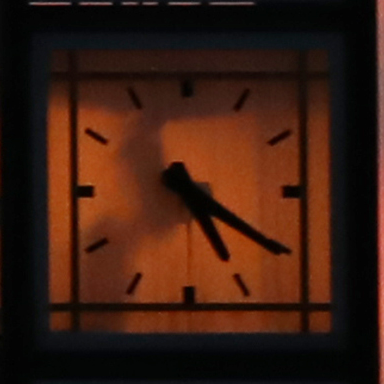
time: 5:20
